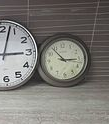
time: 2:53
